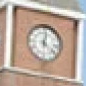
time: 12:22
